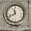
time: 11:41
